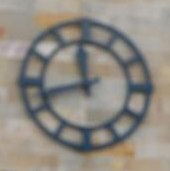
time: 11:42
